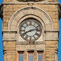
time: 8:12
